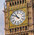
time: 10:51
